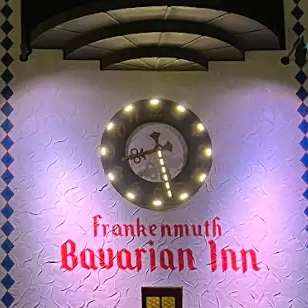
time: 8:27
